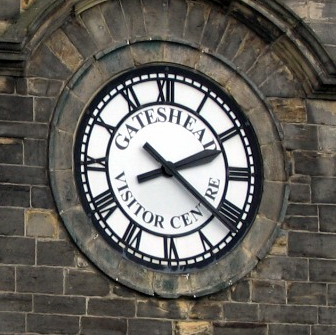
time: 2:21
